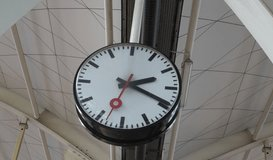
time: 2:18
